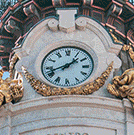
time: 1:41
